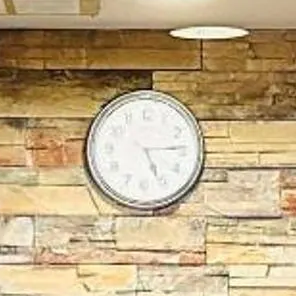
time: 5:14
